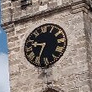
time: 9:34
